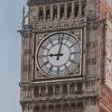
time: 9:01
